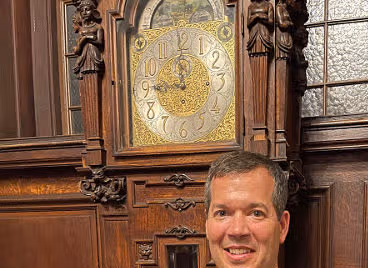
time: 11:45
